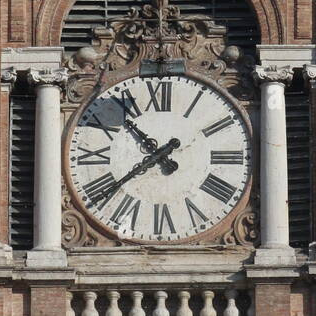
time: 10:39
